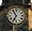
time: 6:54
